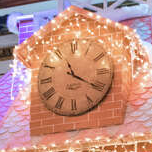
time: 11:20
